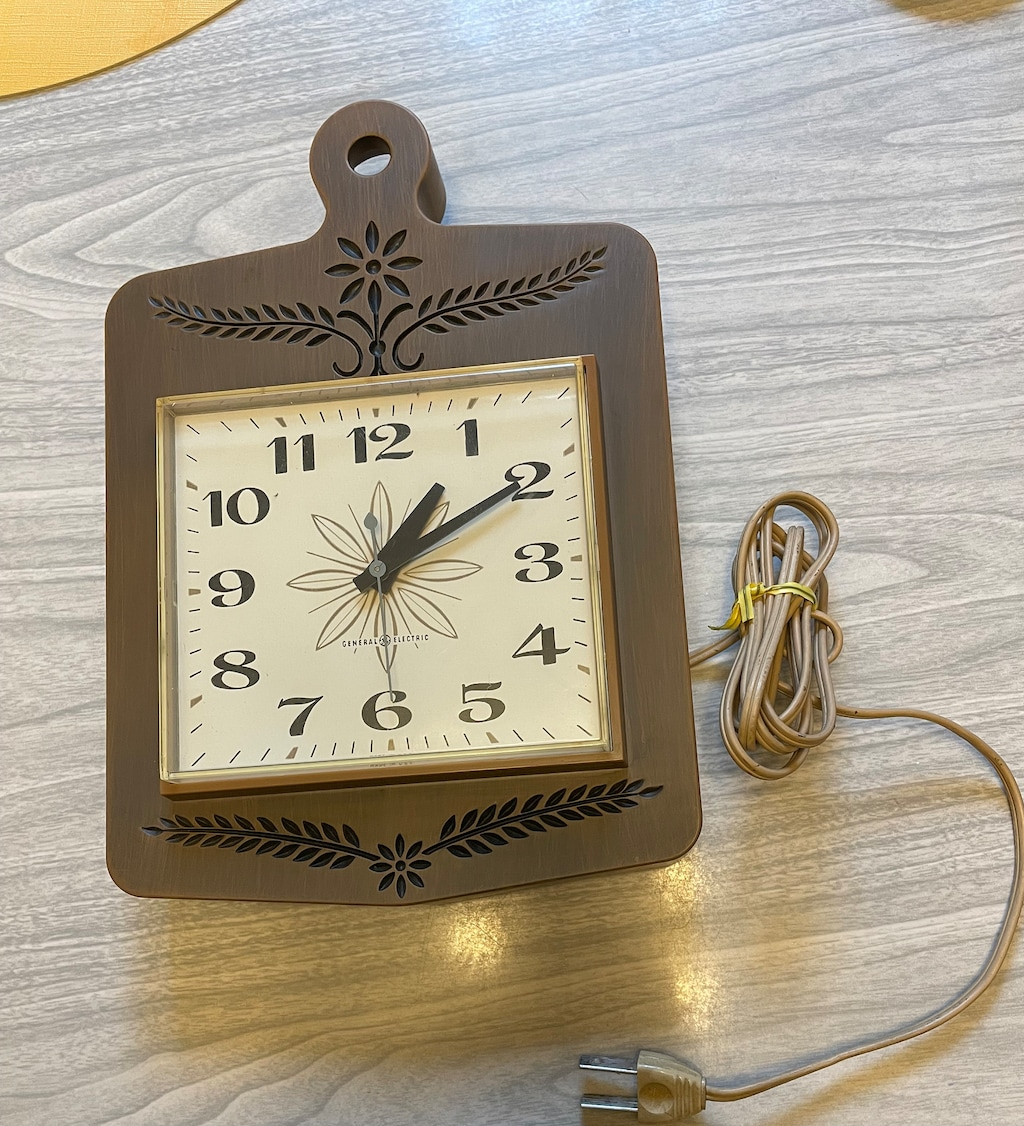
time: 1:10
